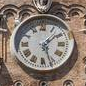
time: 1:26
